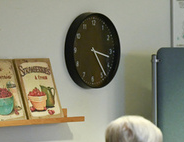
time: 3:23
